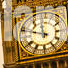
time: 11:48
